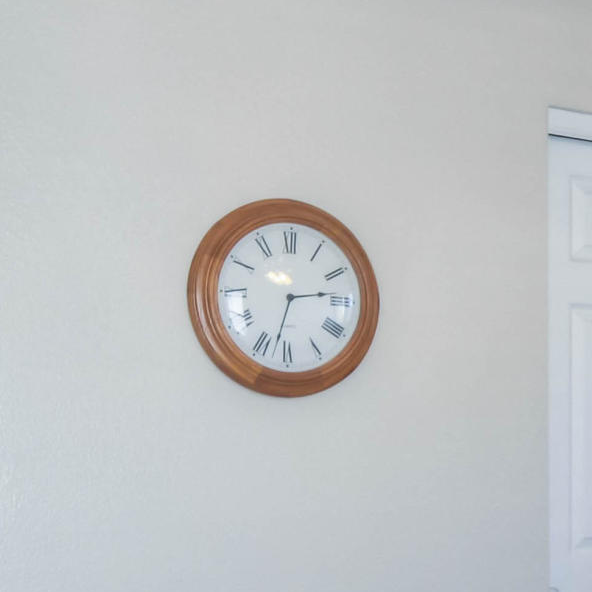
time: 2:32
